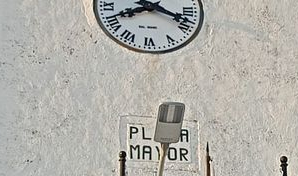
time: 8:18
